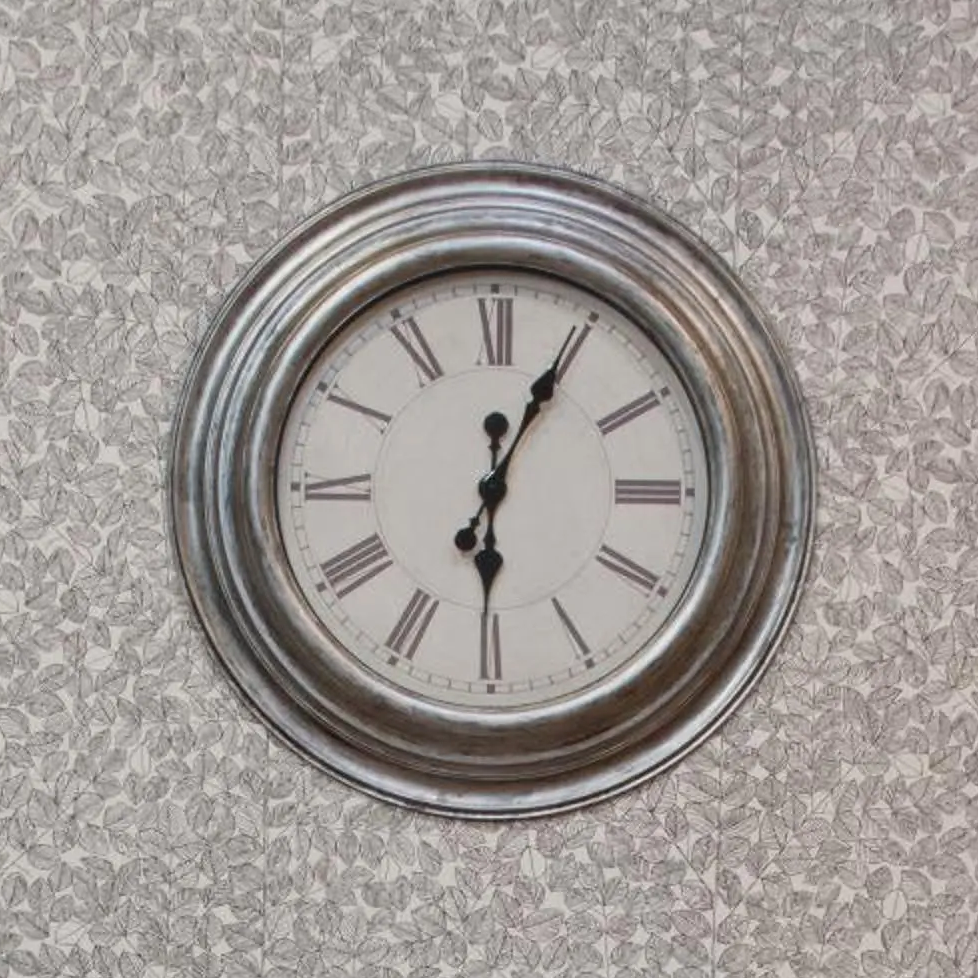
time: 6:04
